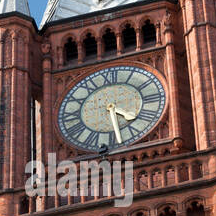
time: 4:28
